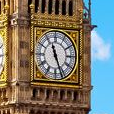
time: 11:26
